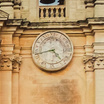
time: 4:42
